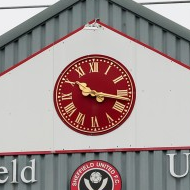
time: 10:16
